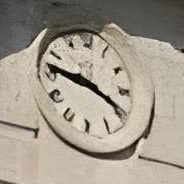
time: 9:19
